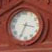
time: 3:34
